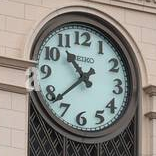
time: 10:37
